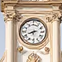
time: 8:12
